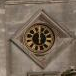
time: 11:59
